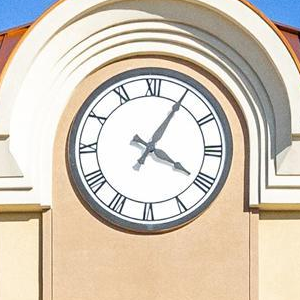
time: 4:05
